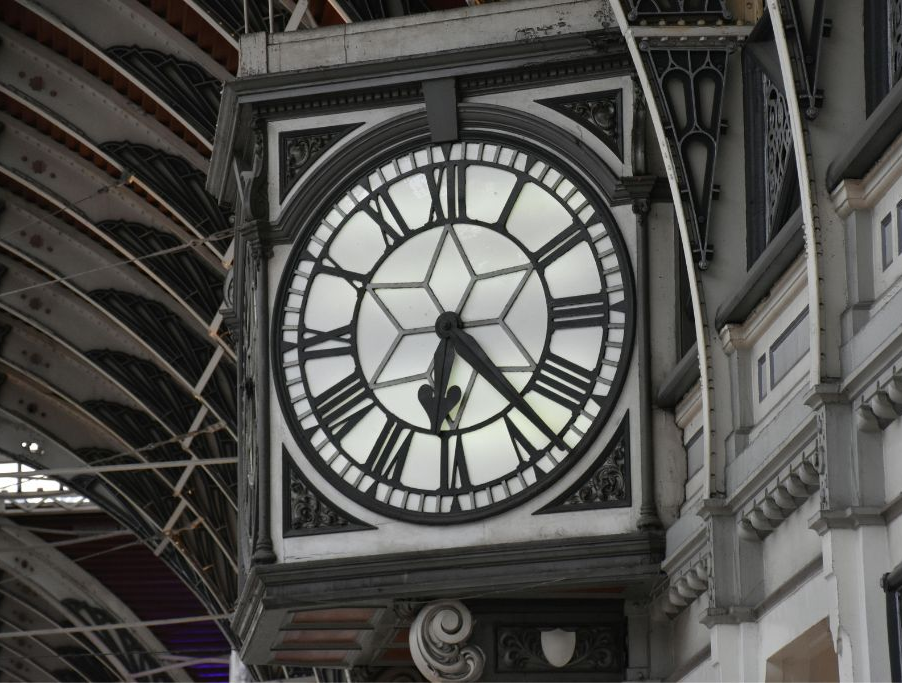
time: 6:22
